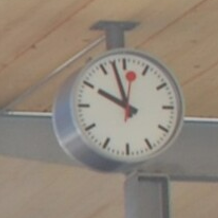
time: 9:57
